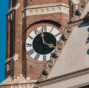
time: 3:58
